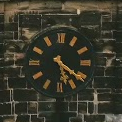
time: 5:21
